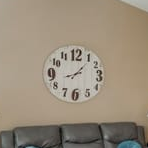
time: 8:06
